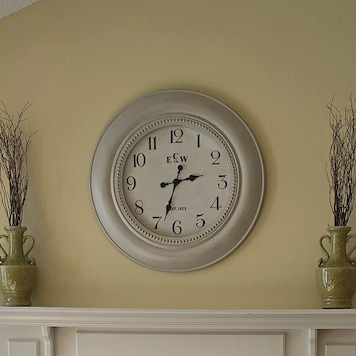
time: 2:33
